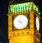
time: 9:26
